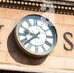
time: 9:39
